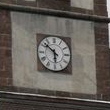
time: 5:51
